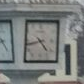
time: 4:42
